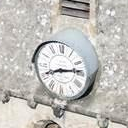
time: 8:13
